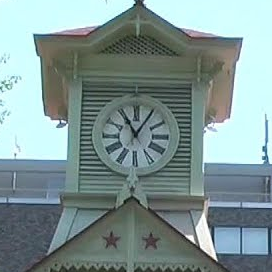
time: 11:05
